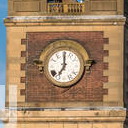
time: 7:00
